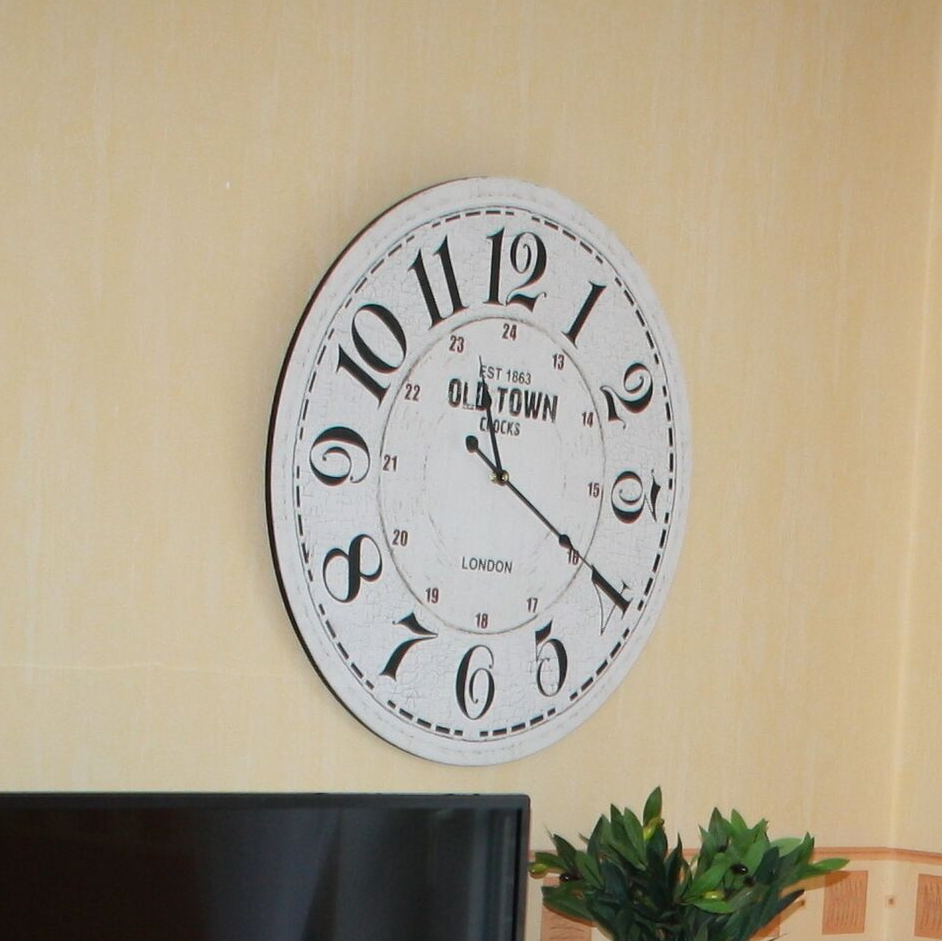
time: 11:19
